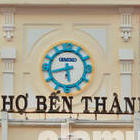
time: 5:42
